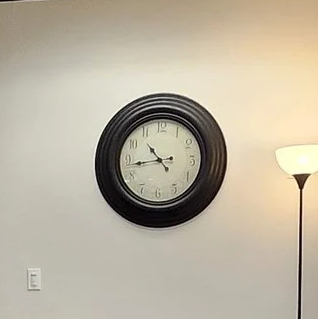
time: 10:43
